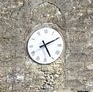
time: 5:10
